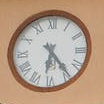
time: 6:23
